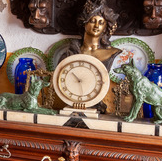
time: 10:28
